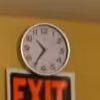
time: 10:35
